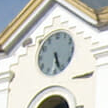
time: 5:26
